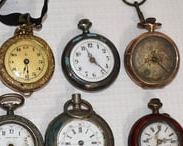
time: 11:23
